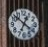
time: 12:52
